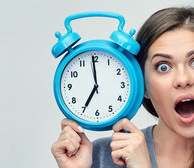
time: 6:59
